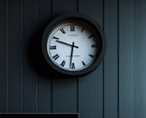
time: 9:31
